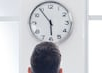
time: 5:54
